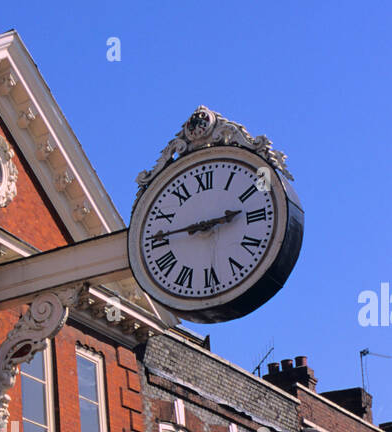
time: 2:45
